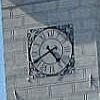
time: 4:40
